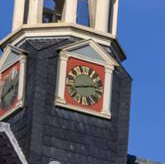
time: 8:12
